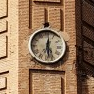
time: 12:28
